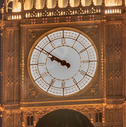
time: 9:50
